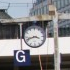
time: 3:42
